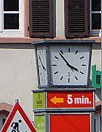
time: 3:53
